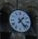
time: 1:22
